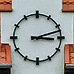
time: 3:12
